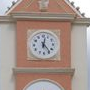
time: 12:23
